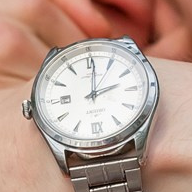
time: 2:01
